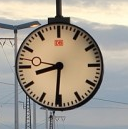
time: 8:30
